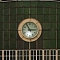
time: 2:54
